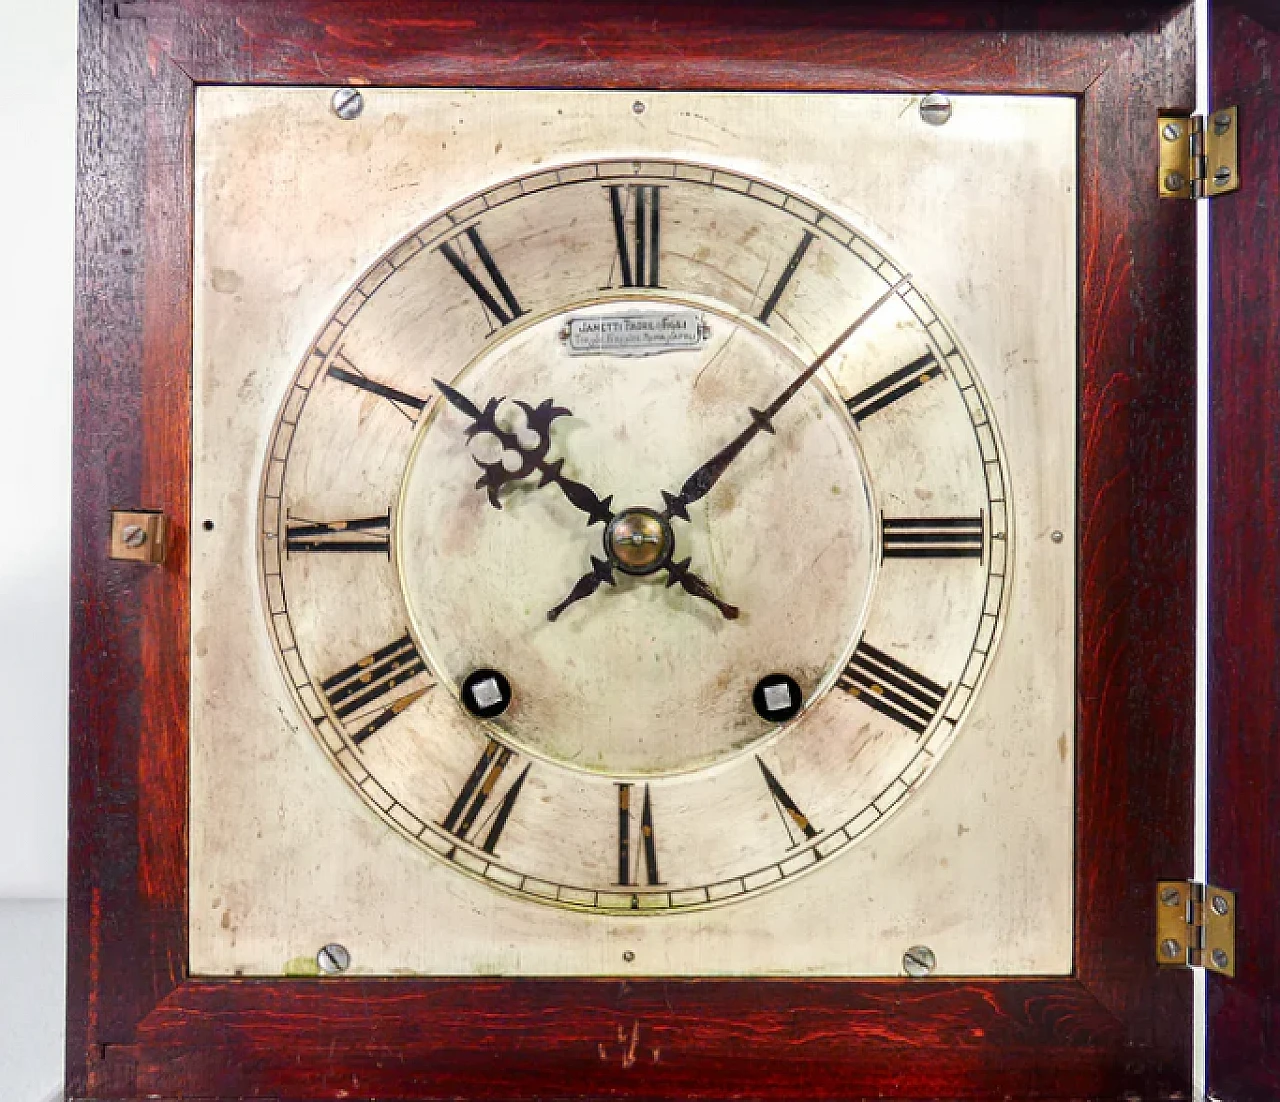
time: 10:07
